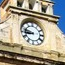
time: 8:47
